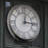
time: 12:14
